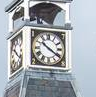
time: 10:20
